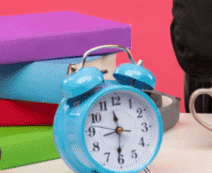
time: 11:30
